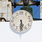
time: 5:30
